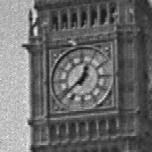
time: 12:38
